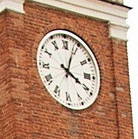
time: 4:03
